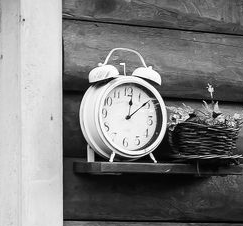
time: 12:08
